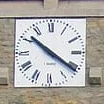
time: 10:21
